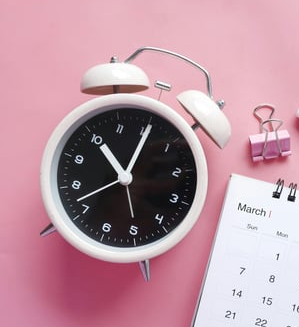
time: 11:05
